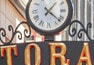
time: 1:21
